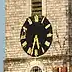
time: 5:32
